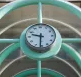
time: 9:31
